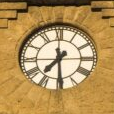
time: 7:29
